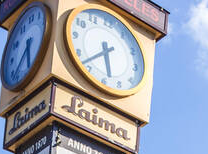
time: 5:37
